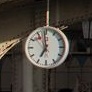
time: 6:58
